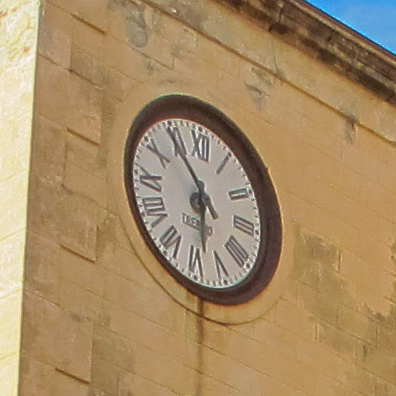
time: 5:54
